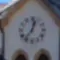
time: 12:36
